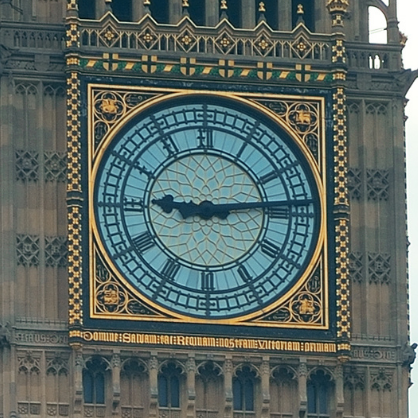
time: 9:13
